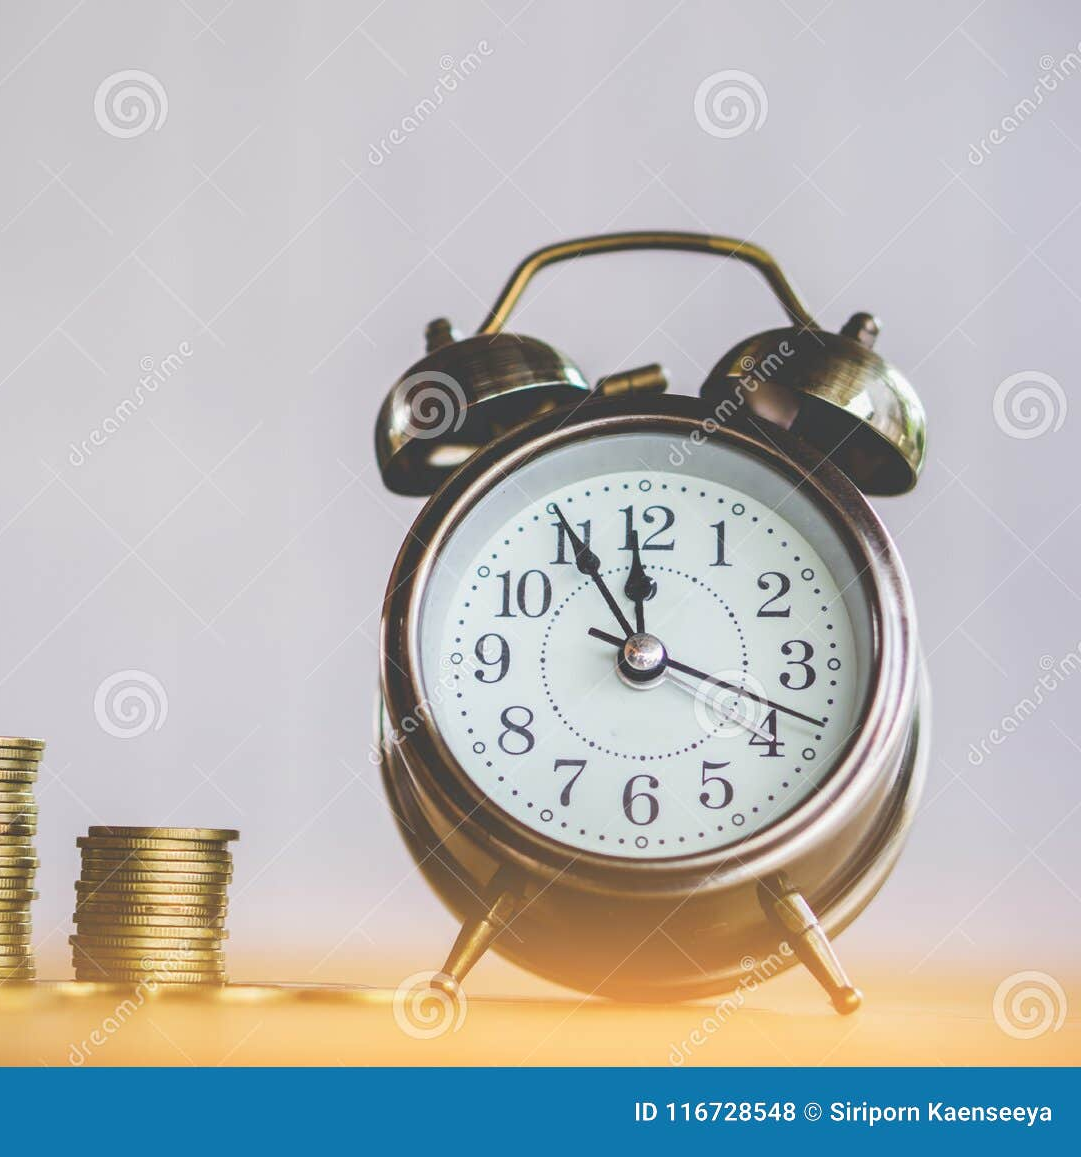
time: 11:55
